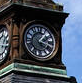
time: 1:18
